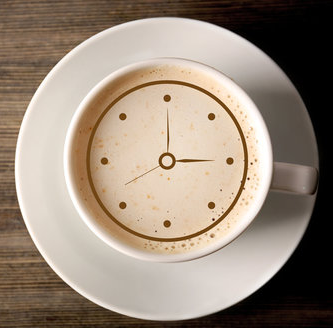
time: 2:59
